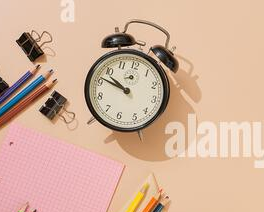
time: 9:46
